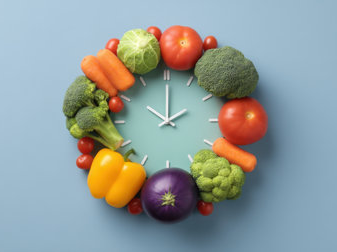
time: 2:00
